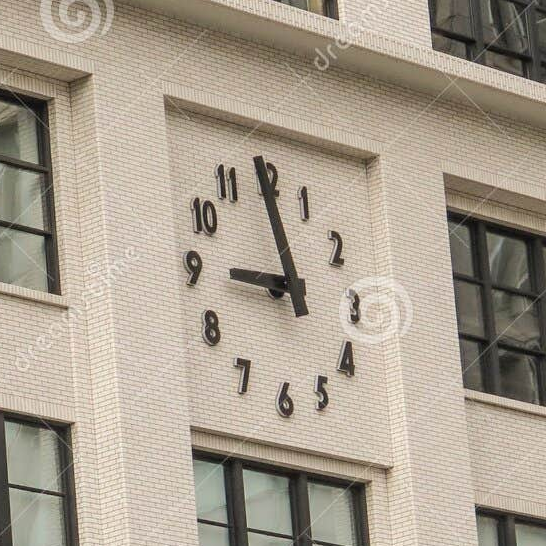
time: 8:58
